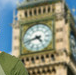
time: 4:42
